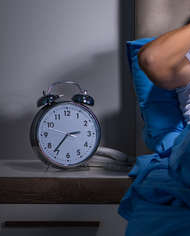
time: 2:36
